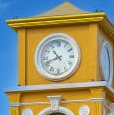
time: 10:41
